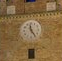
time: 11:24
